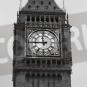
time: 11:45
